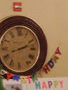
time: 2:11
